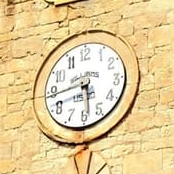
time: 5:42
